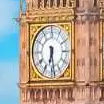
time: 6:28
